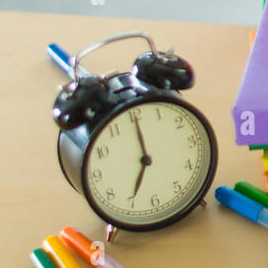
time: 7:00
